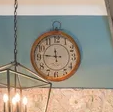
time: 11:46
